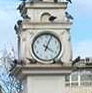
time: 4:03
